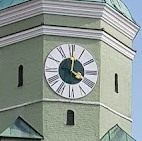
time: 4:01
